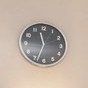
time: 11:33
